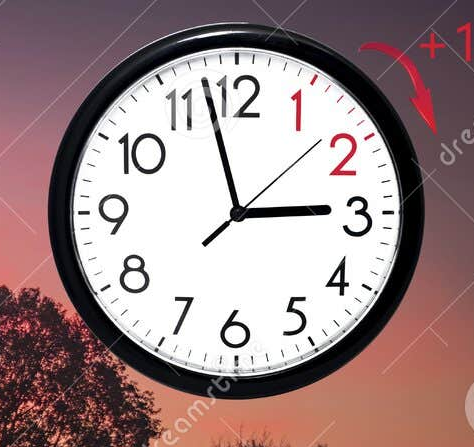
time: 2:57
